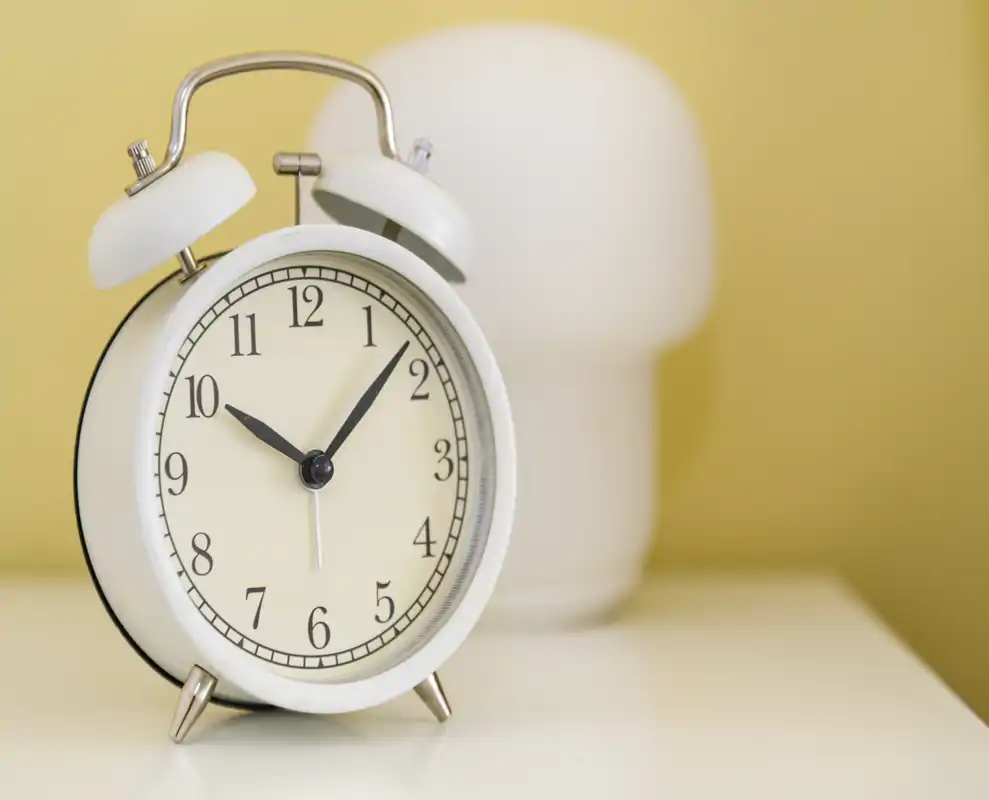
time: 10:07
